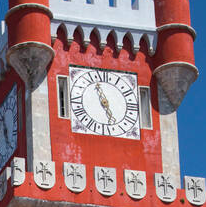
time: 4:56
